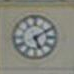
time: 5:09
